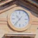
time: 10:36
